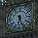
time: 6:25
